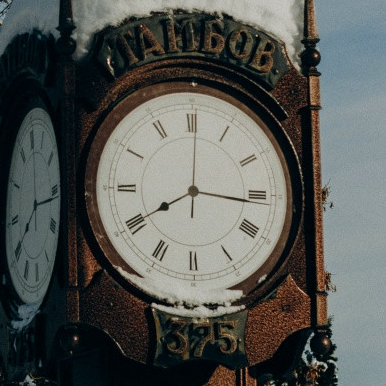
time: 8:16
